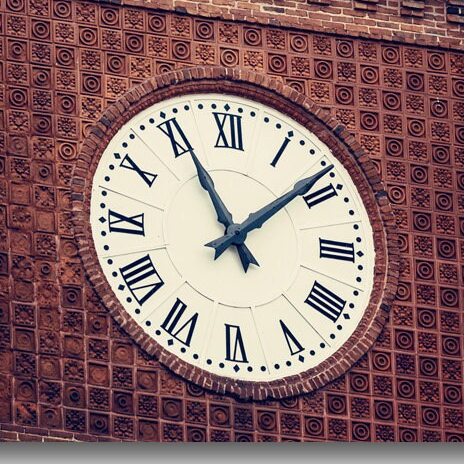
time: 11:08
